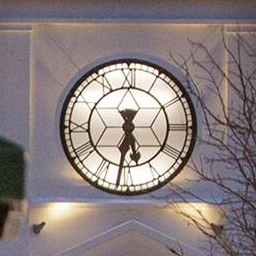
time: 5:31
